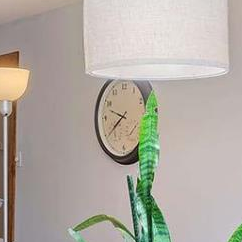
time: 9:39
